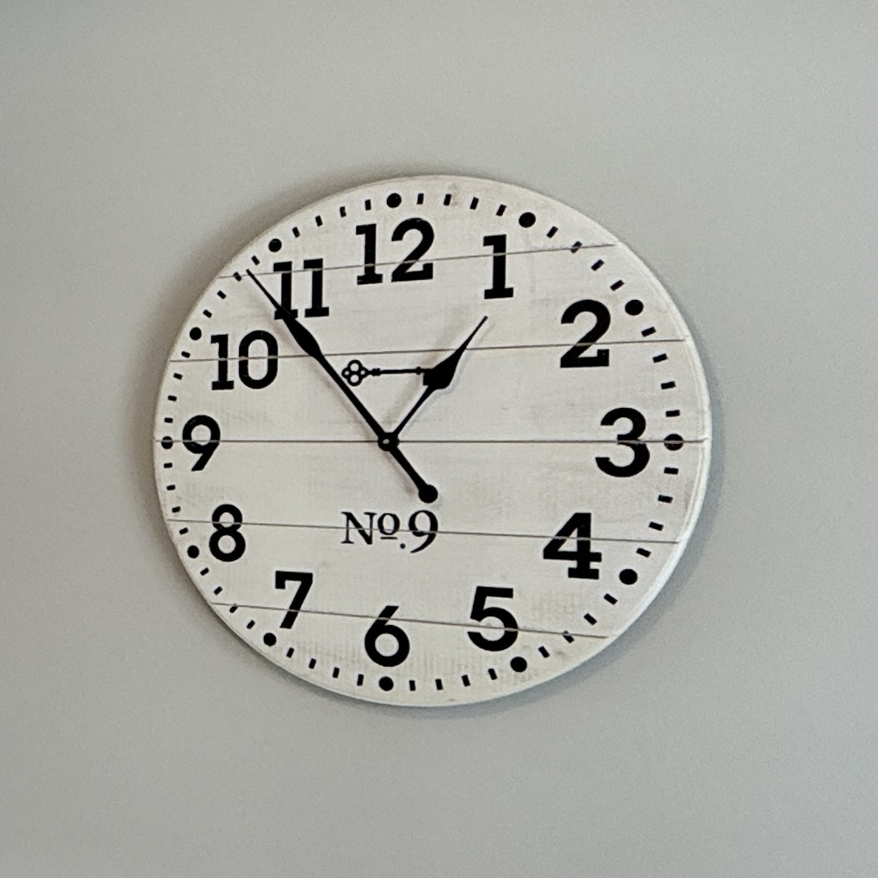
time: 12:53
